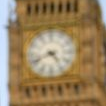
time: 4:41
